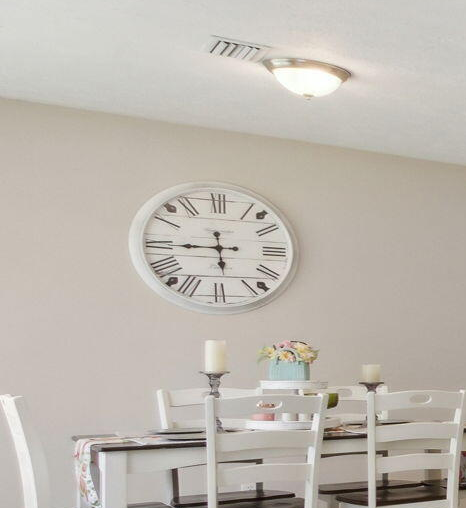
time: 5:45
